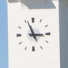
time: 2:56
